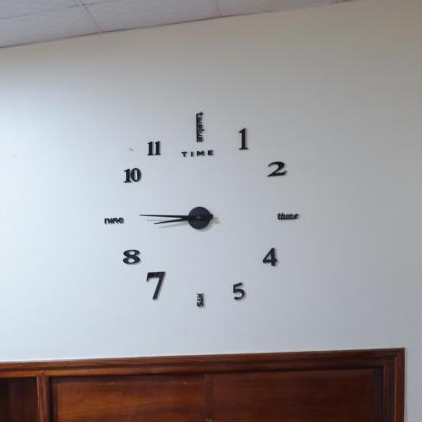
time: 8:45
